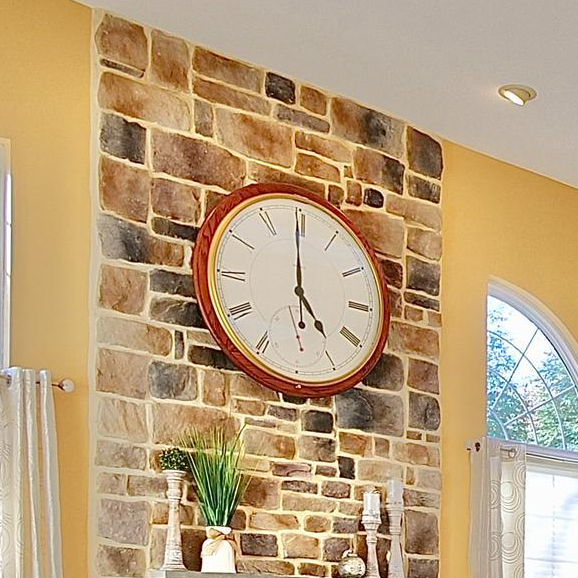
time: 4:59
